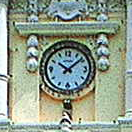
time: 10:08
